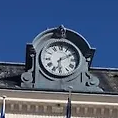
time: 6:10
